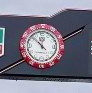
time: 11:52
